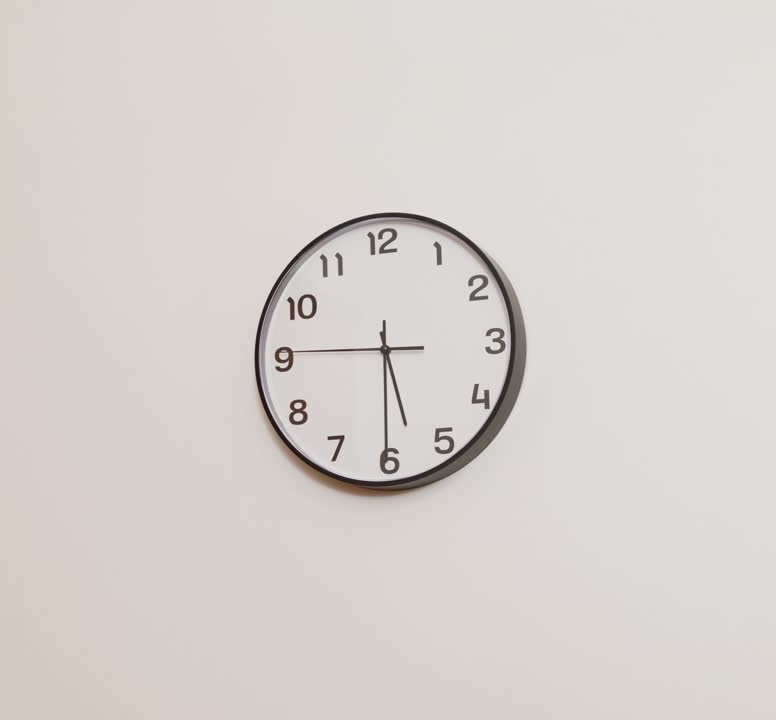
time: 5:30
